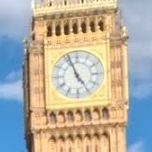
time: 4:56
